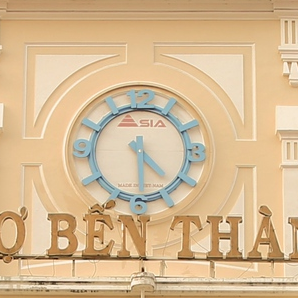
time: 4:29
